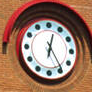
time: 12:24
